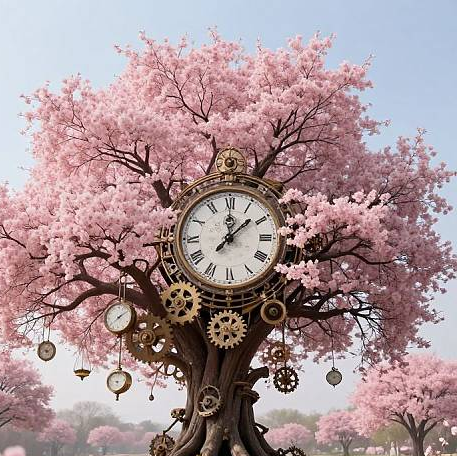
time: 12:07
